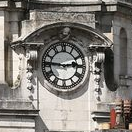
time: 2:46
